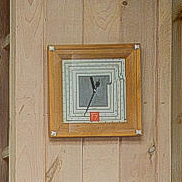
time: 11:34
